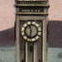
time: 11:32
